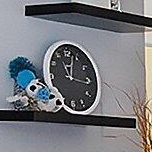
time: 11:16
